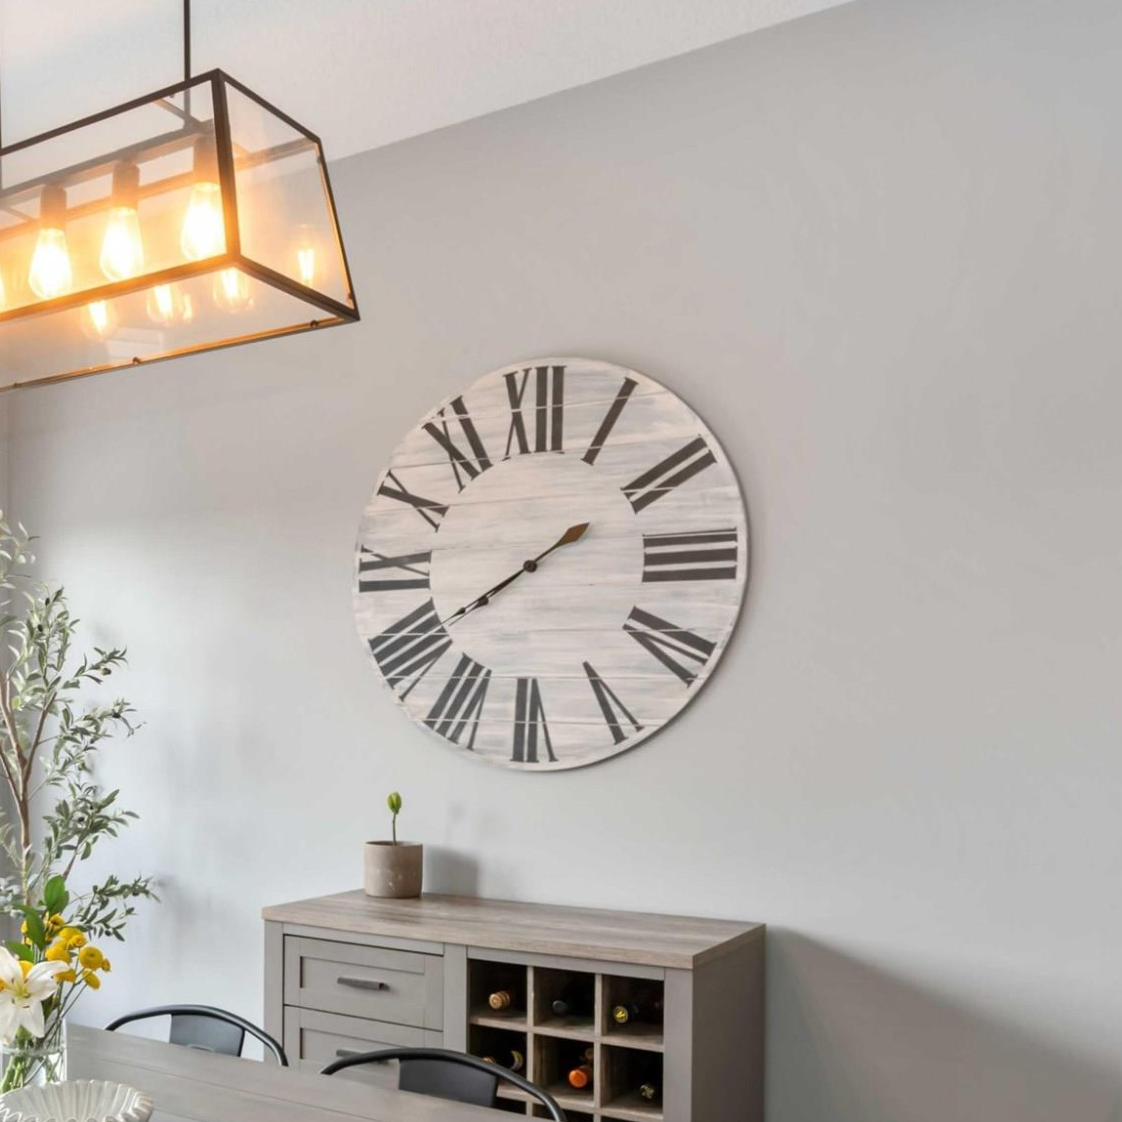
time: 7:39
